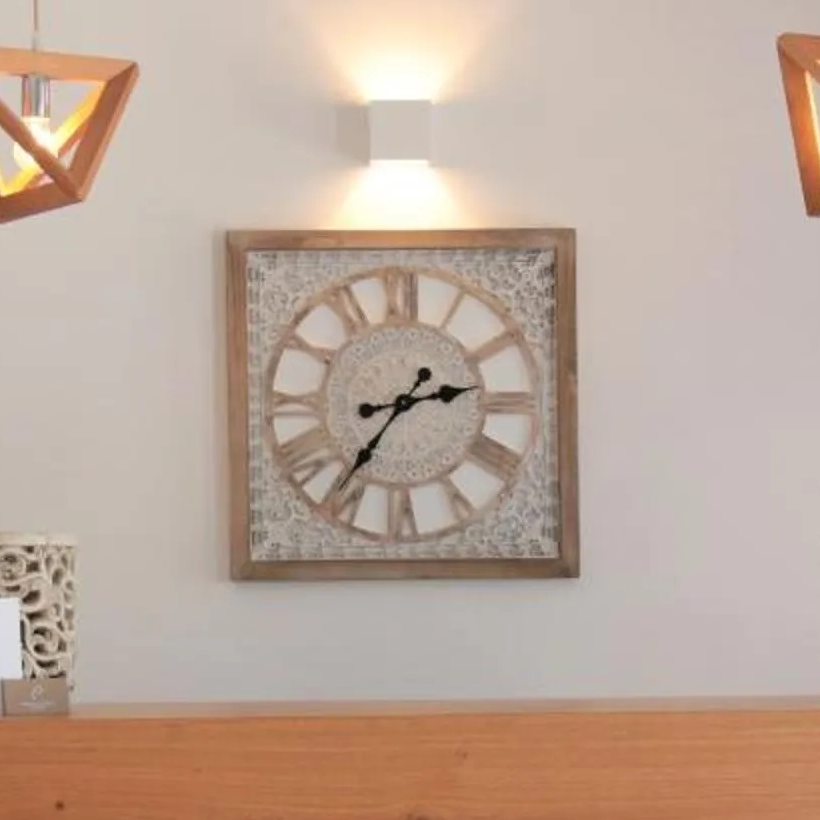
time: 2:36
